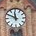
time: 11:49
